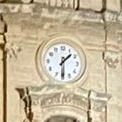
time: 1:30
